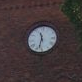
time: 11:32
